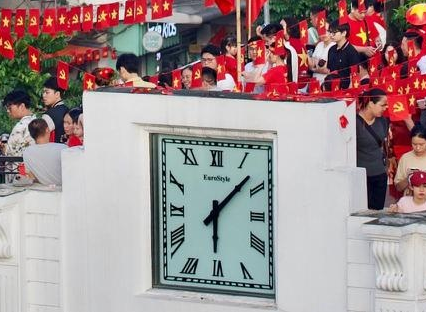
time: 6:07
